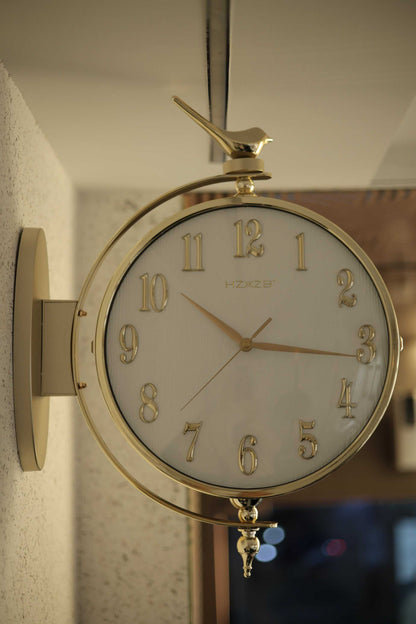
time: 10:16
